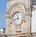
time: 11:42
